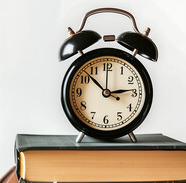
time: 2:52
